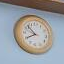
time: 7:52
